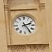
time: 2:24
